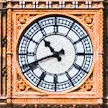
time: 10:41
